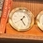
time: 1:24
